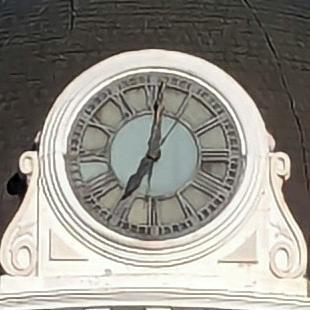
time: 7:01
